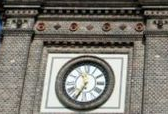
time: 11:34
